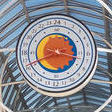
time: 3:40
